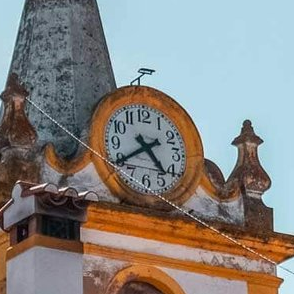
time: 4:39
